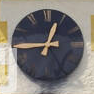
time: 12:44
